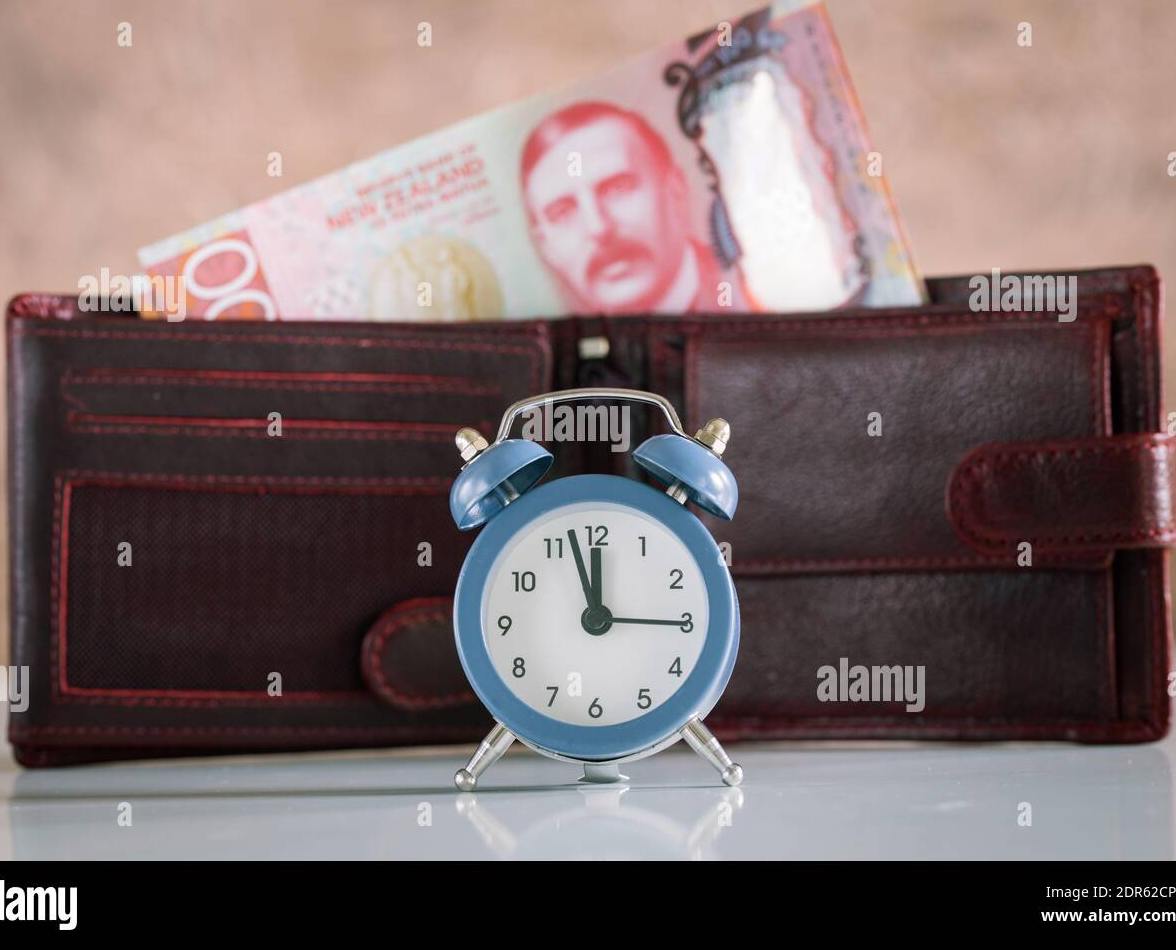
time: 11:57
